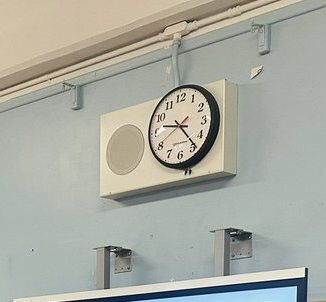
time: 9:23
